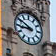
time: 8:50
